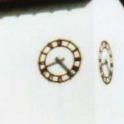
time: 4:41
